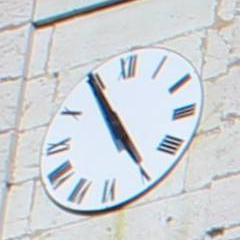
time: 4:54
